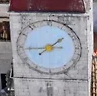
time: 1:44
